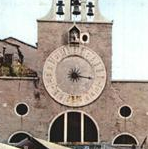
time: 3:16
